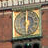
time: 5:59
